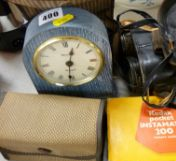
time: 12:30
